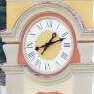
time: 1:11
